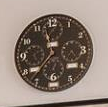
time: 11:36
